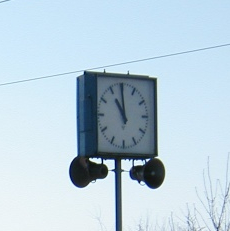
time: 10:59
